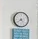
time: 4:38
